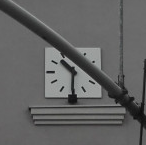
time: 10:30
